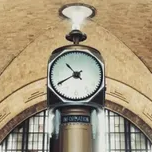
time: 10:40
